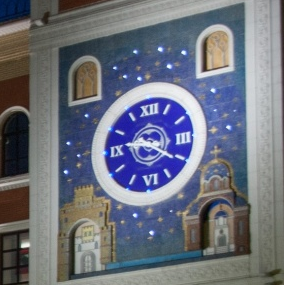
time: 9:20
